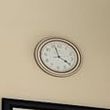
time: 3:57
